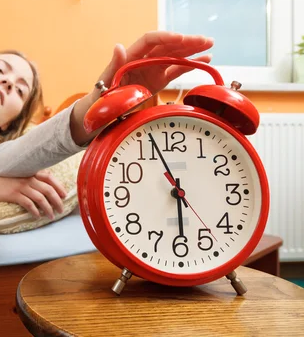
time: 5:56
